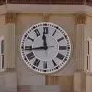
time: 11:43
